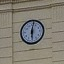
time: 6:01
